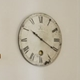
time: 10:20
